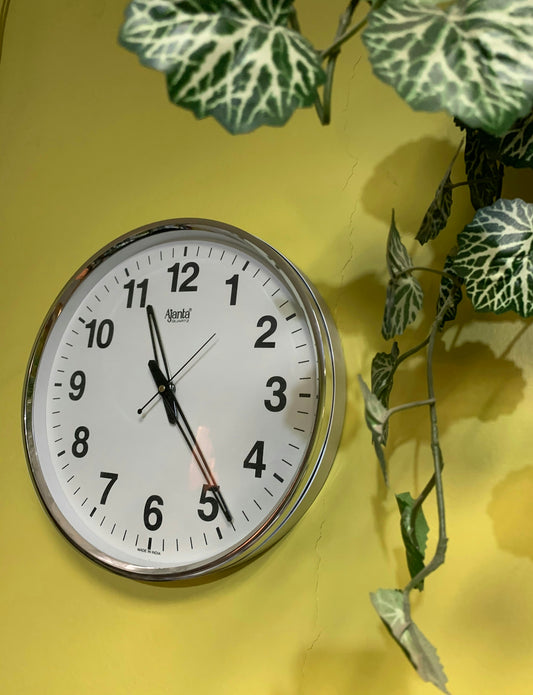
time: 11:23
